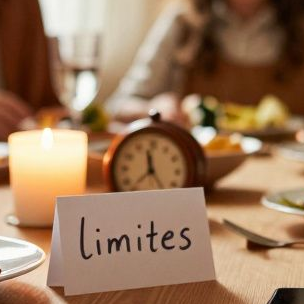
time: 11:36
